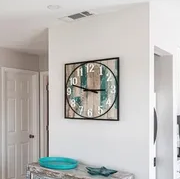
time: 2:47
